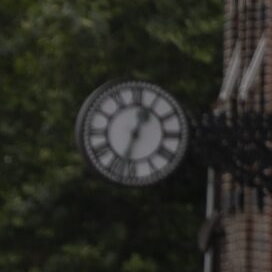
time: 12:32
